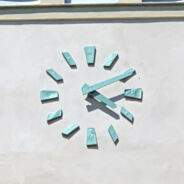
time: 4:10
